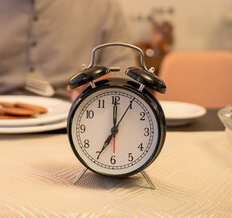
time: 7:00
